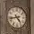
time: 4:42
